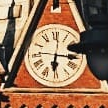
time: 6:16
